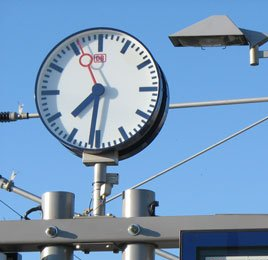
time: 7:31
